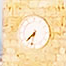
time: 7:32
